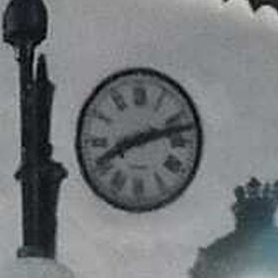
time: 8:12
